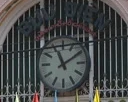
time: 11:09
